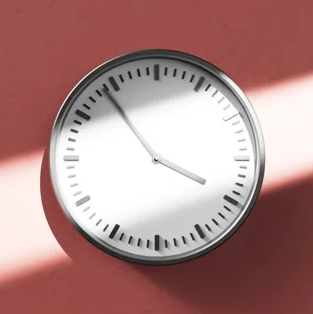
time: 3:54
